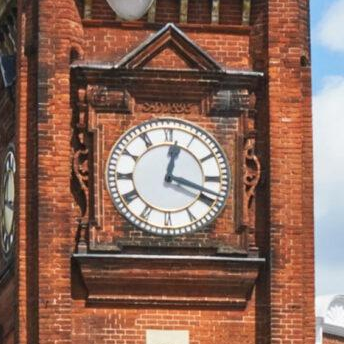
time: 12:18
